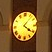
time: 4:07
